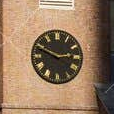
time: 2:48
